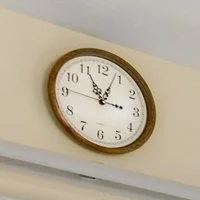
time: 11:03
